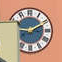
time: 9:11
